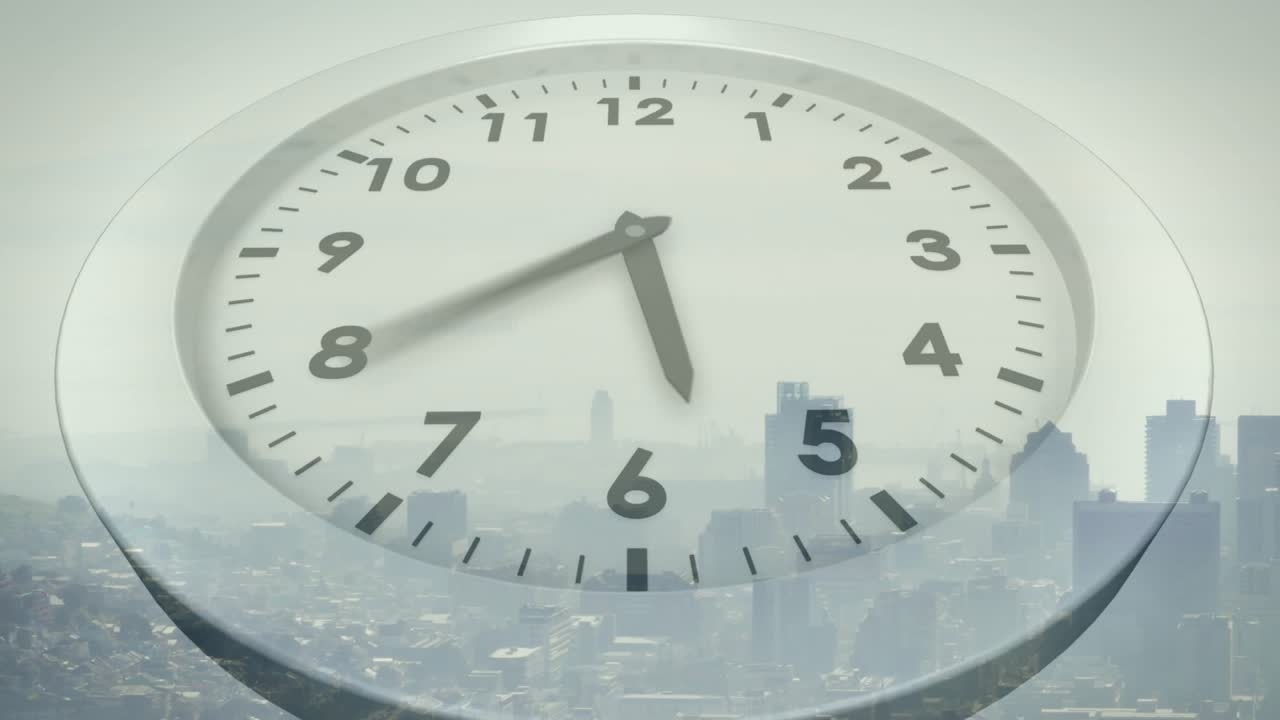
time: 5:39
